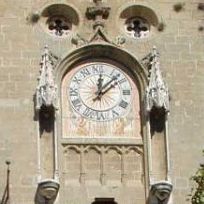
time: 12:07
